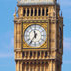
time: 11:36
